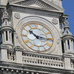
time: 10:15
